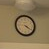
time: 4:20
